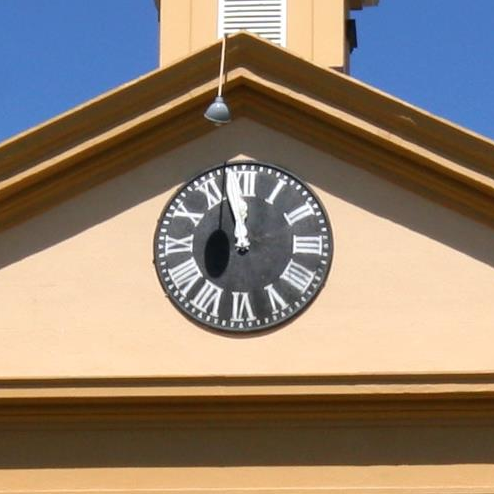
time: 11:57
